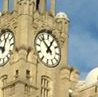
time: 12:52
